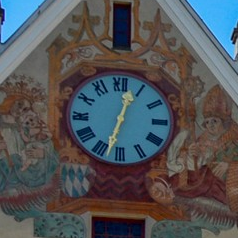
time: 12:32
